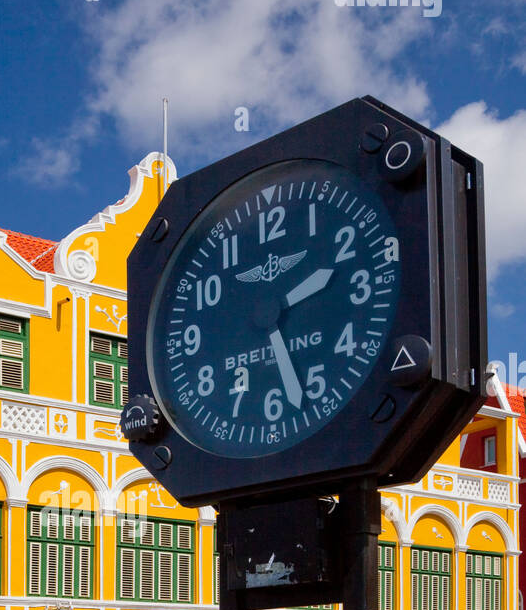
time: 2:27
